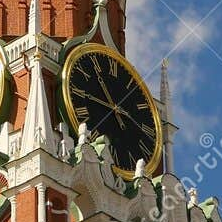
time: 10:45
